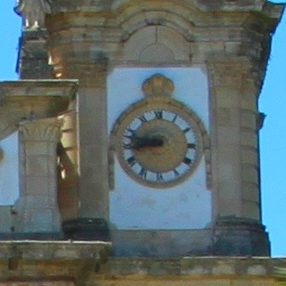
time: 8:47
